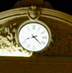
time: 8:22
